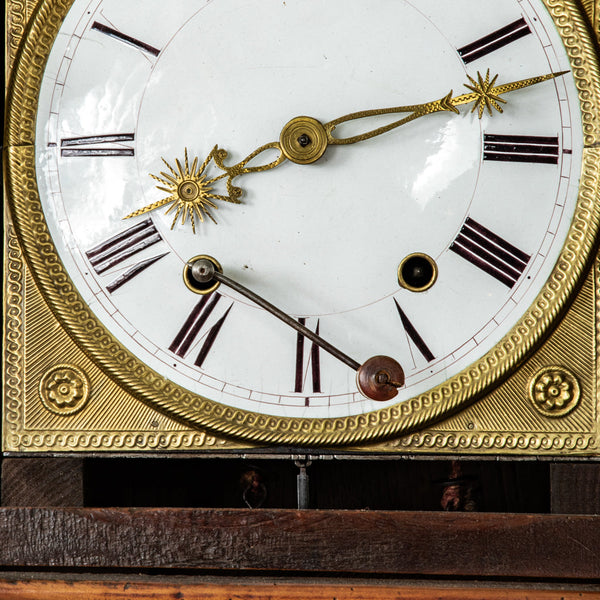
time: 8:12
